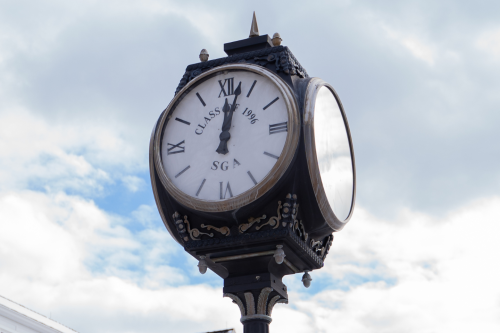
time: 12:02
